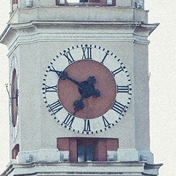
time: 6:49
